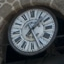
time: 1:26
